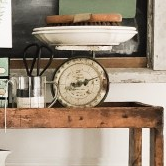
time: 8:11
